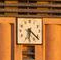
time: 6:21
